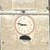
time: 8:47
